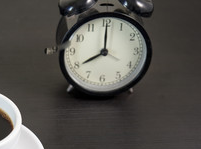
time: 8:00
